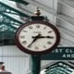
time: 7:14
